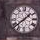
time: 1:38
